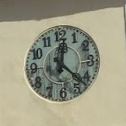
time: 12:22
